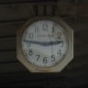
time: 2:46
